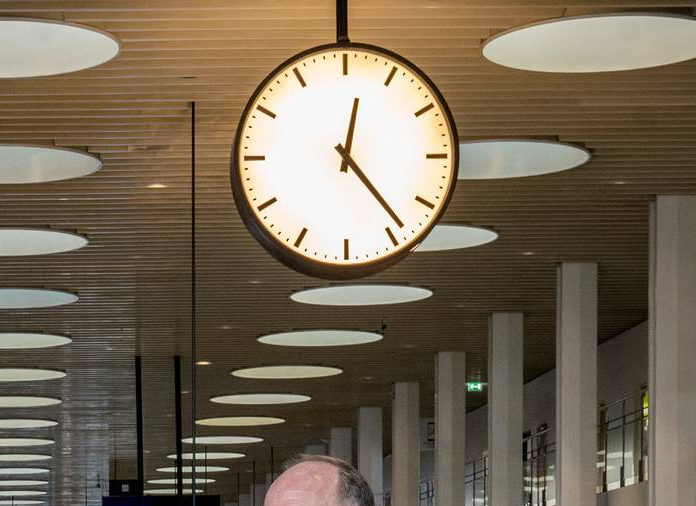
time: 12:23
